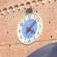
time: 4:07
